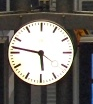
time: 5:46
